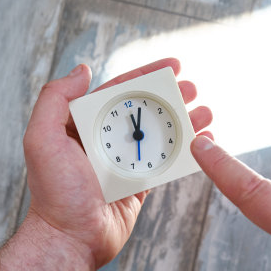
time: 12:03
